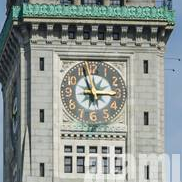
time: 2:56
